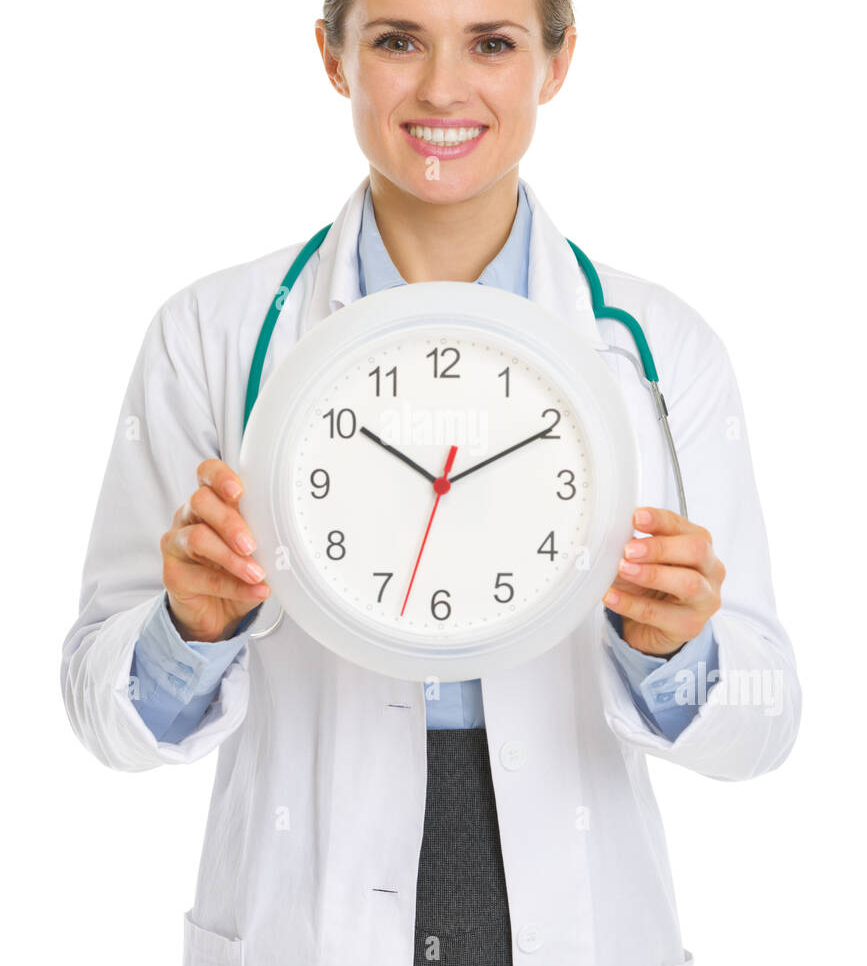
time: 10:10
